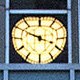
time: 3:49
